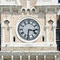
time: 3:31
